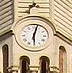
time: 6:02
